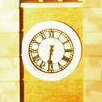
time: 6:31
